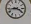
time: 3:43
